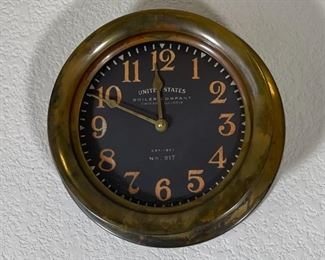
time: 11:49
